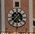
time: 1:36
